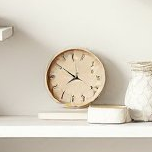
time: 7:50
